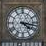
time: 4:16
